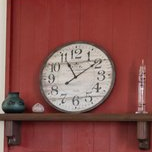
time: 11:09
